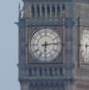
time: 6:13
